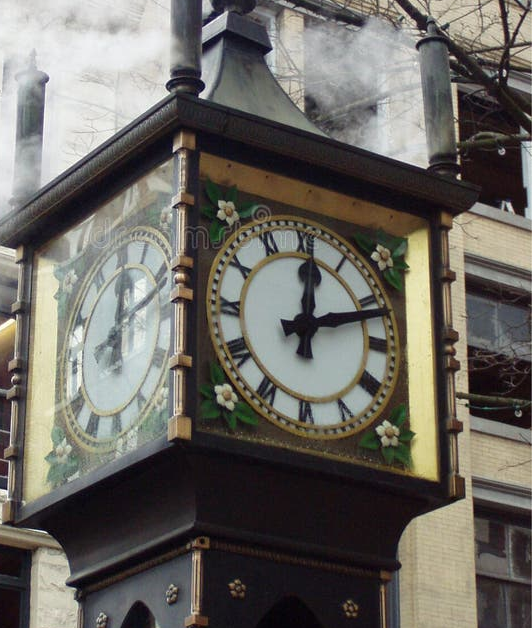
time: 12:11
